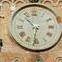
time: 10:31
